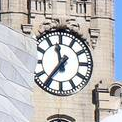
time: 11:36
